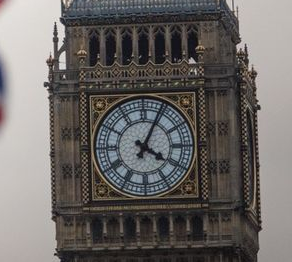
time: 4:04
